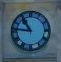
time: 10:46
